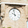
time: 9:57
